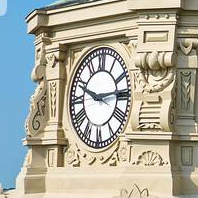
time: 2:48
